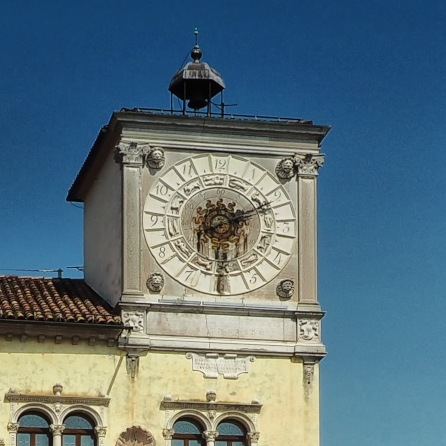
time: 6:10
